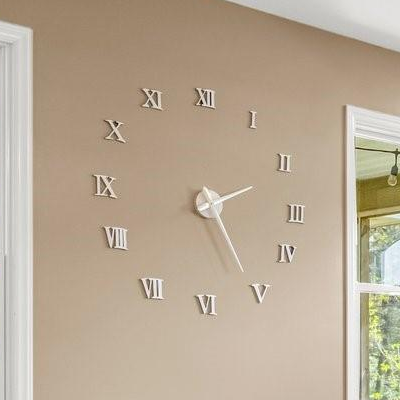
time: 2:25
